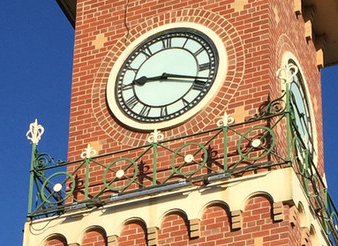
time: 9:18
